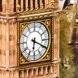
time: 6:19
